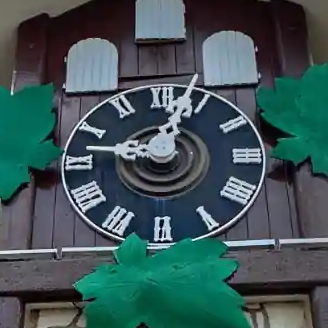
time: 12:47
